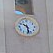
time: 10:28
